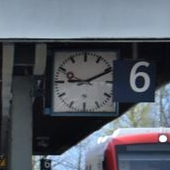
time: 9:10
